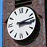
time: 3:12
